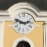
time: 2:48
